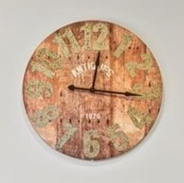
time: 12:16
